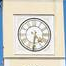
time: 4:31
